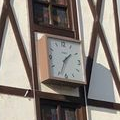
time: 1:33
